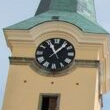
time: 11:07
